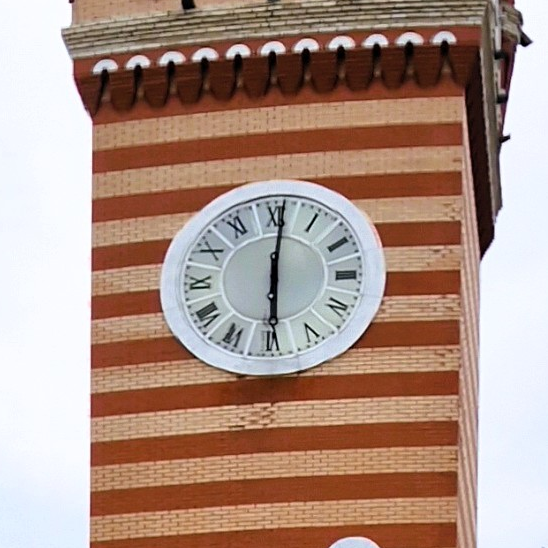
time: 6:00
